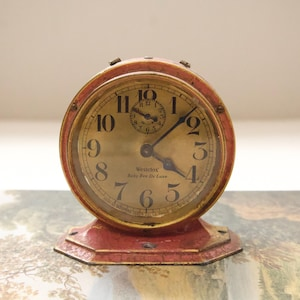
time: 4:07
